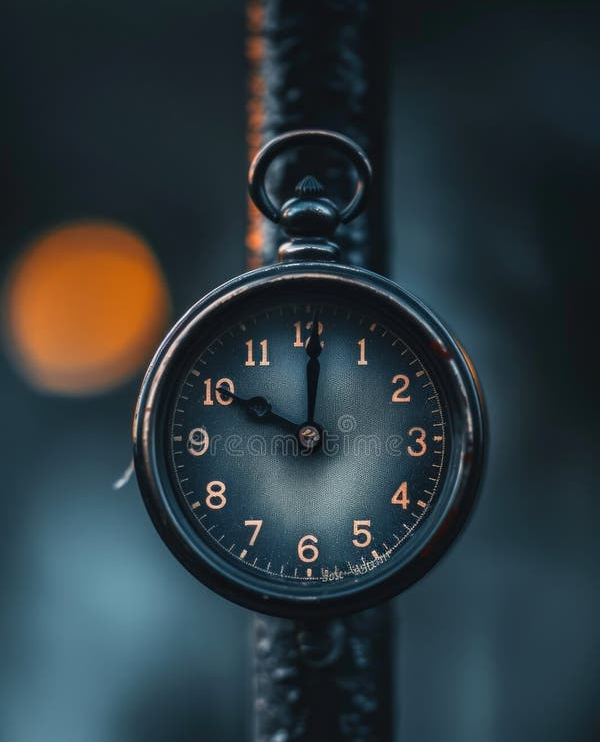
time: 10:00
